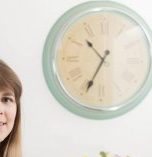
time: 10:34
